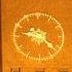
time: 9:22
